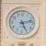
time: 5:12
